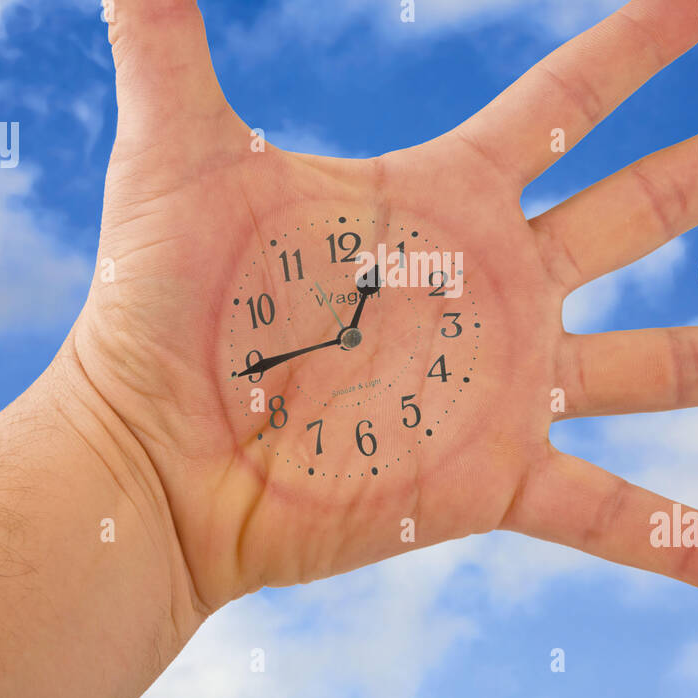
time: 12:44
